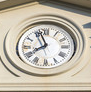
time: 7:56
